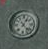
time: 1:22
